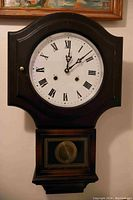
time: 12:08
